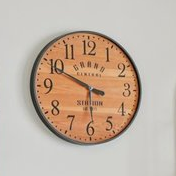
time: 5:49
